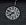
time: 7:49
